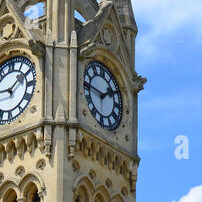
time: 1:46
